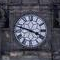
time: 3:47
